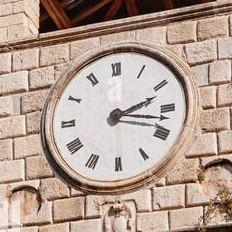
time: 2:17
